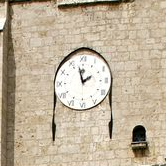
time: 1:57
